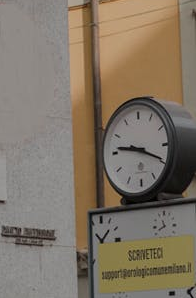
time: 9:19
